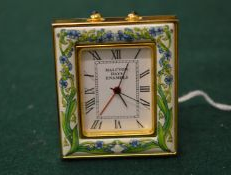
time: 4:04
